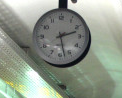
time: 2:27
